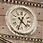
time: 4:33
